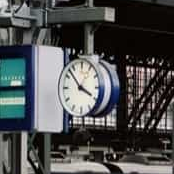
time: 3:52
